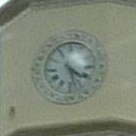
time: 4:27
